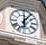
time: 6:06
